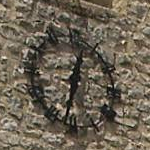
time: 12:32
